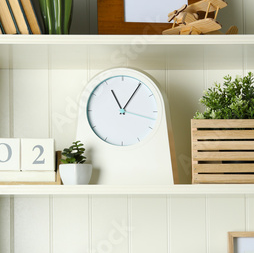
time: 11:05
